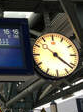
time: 4:21
